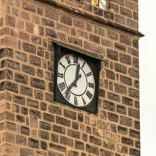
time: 12:36
